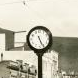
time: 5:26
